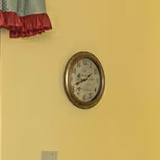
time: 1:42
